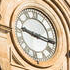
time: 9:16
